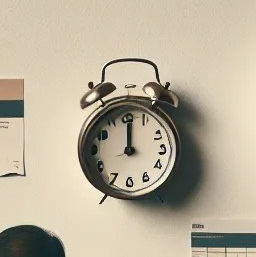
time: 12:00
